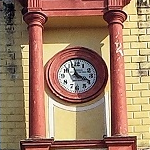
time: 3:56
